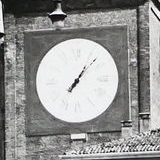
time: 7:07
